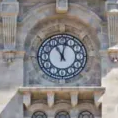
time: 11:02
